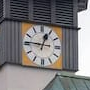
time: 12:46
